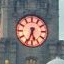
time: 5:33
